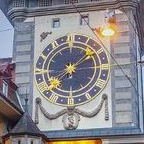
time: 1:37
